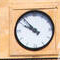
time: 9:53
